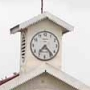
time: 7:23
